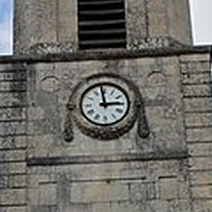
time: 2:58
